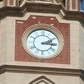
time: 3:10
